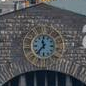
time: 11:37
